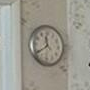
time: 11:39
